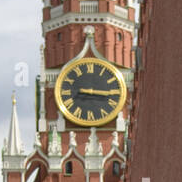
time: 3:16
